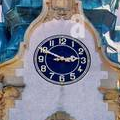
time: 2:49
